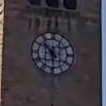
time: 10:30
